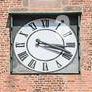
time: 3:18
